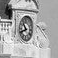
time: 10:41
